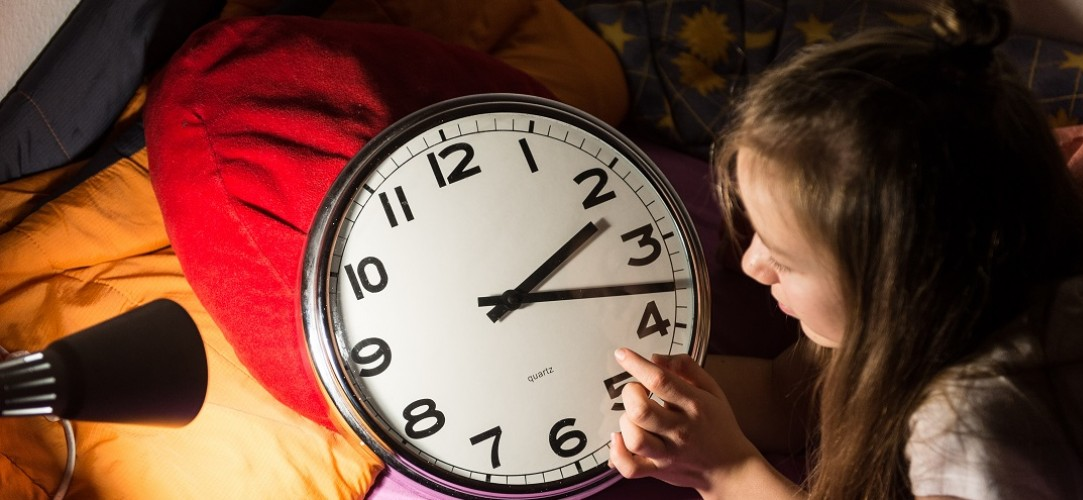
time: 2:18
